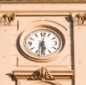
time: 5:31
